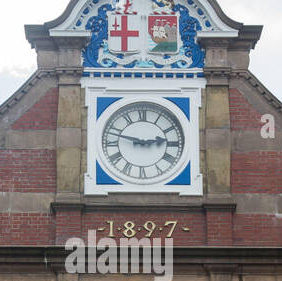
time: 2:47
